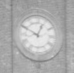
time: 12:49
